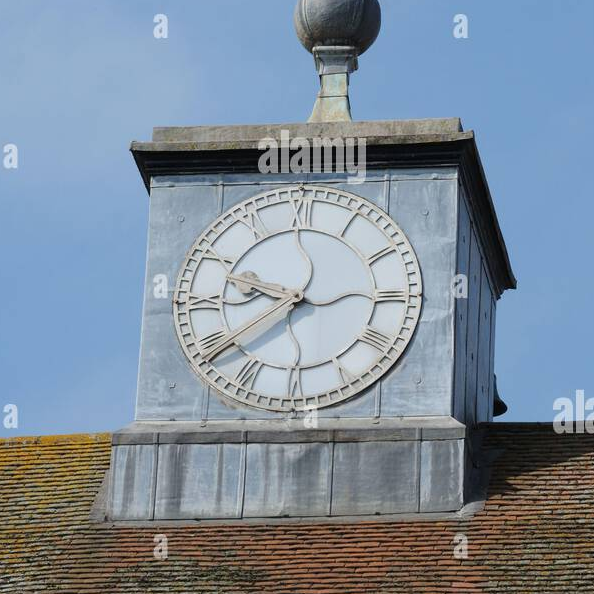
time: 9:38
